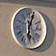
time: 6:03
